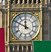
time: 11:49
